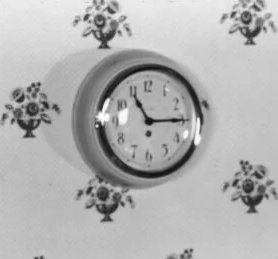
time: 11:15
